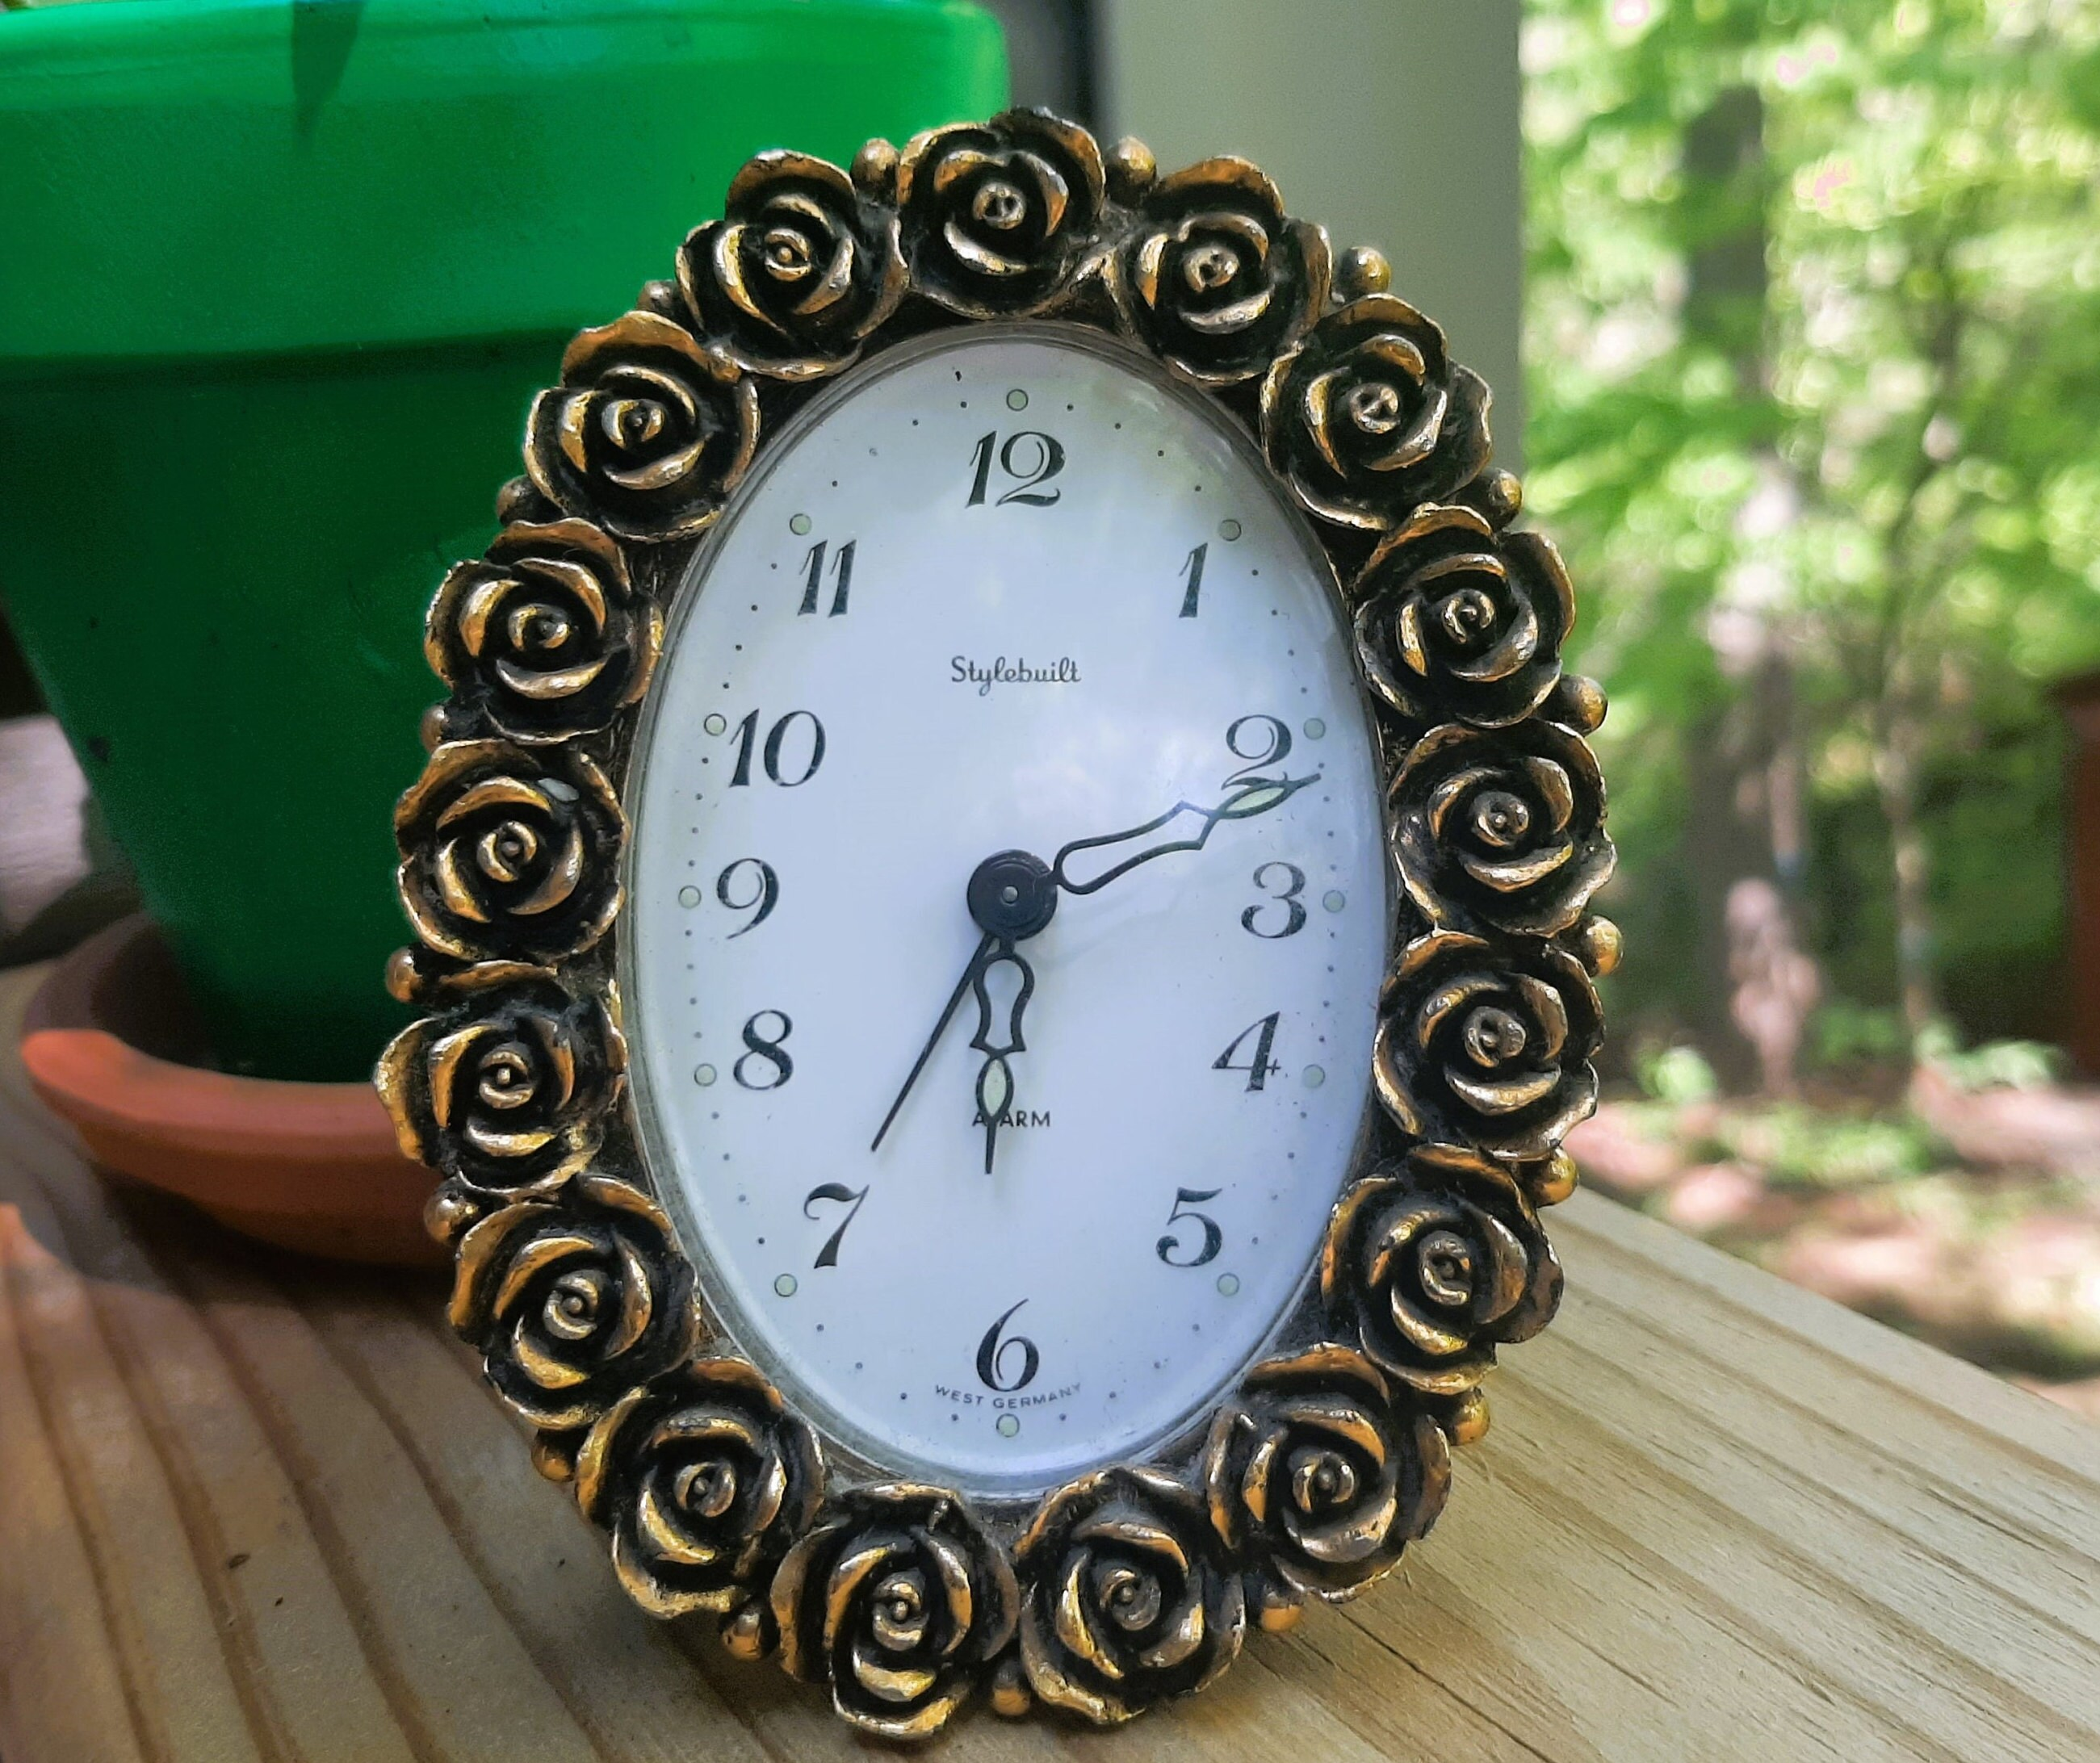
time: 7:11
